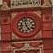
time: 4:57
